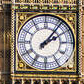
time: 2:06
